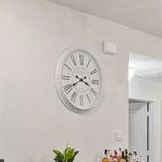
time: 3:40
